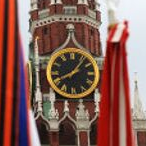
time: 8:06
